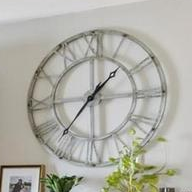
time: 1:36
